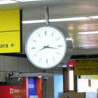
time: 8:16
